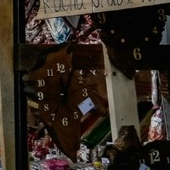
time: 12:05
